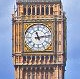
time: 11:13
